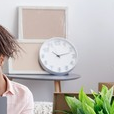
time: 10:12
